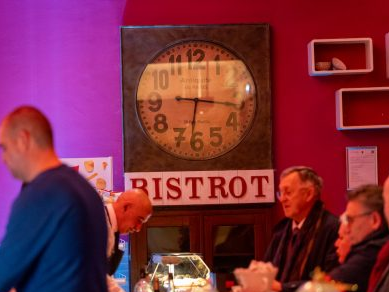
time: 6:16
